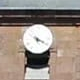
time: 5:19
